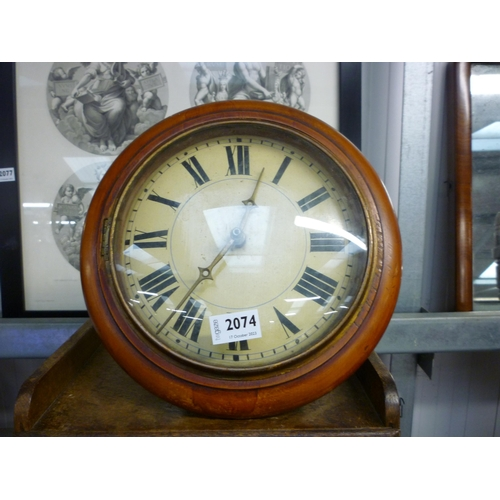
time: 12:36
